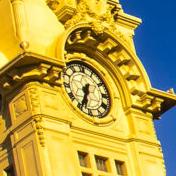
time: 6:34
